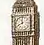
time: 11:41
